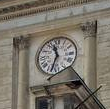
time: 11:33
